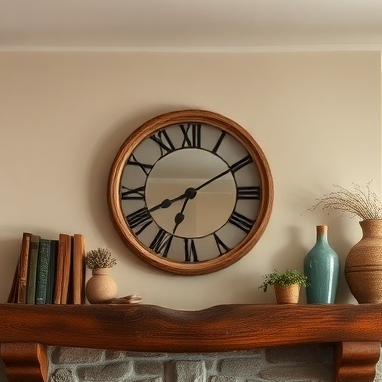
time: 8:09
